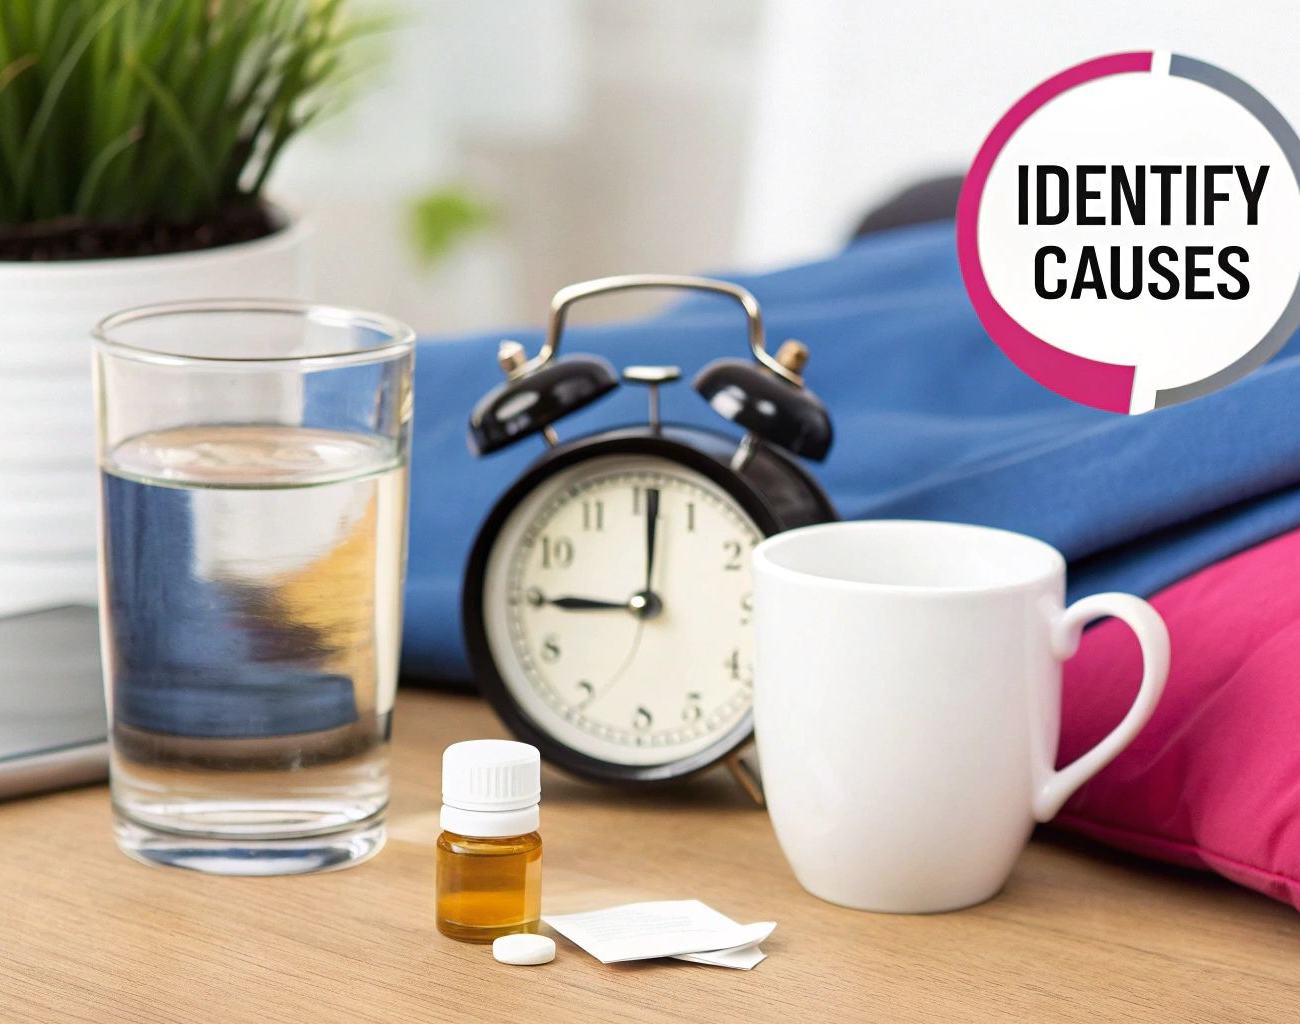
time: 9:01
